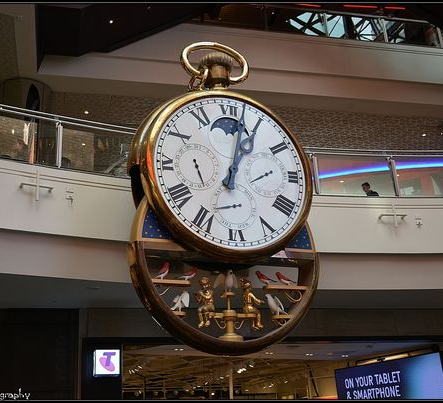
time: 1:02
